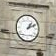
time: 1:10
